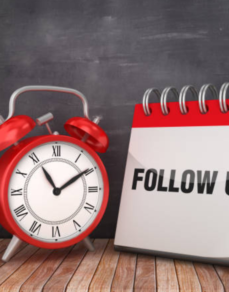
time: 11:09
